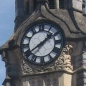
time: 1:39
